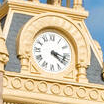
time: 4:17
